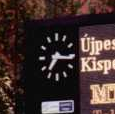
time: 7:15
